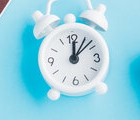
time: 12:07
